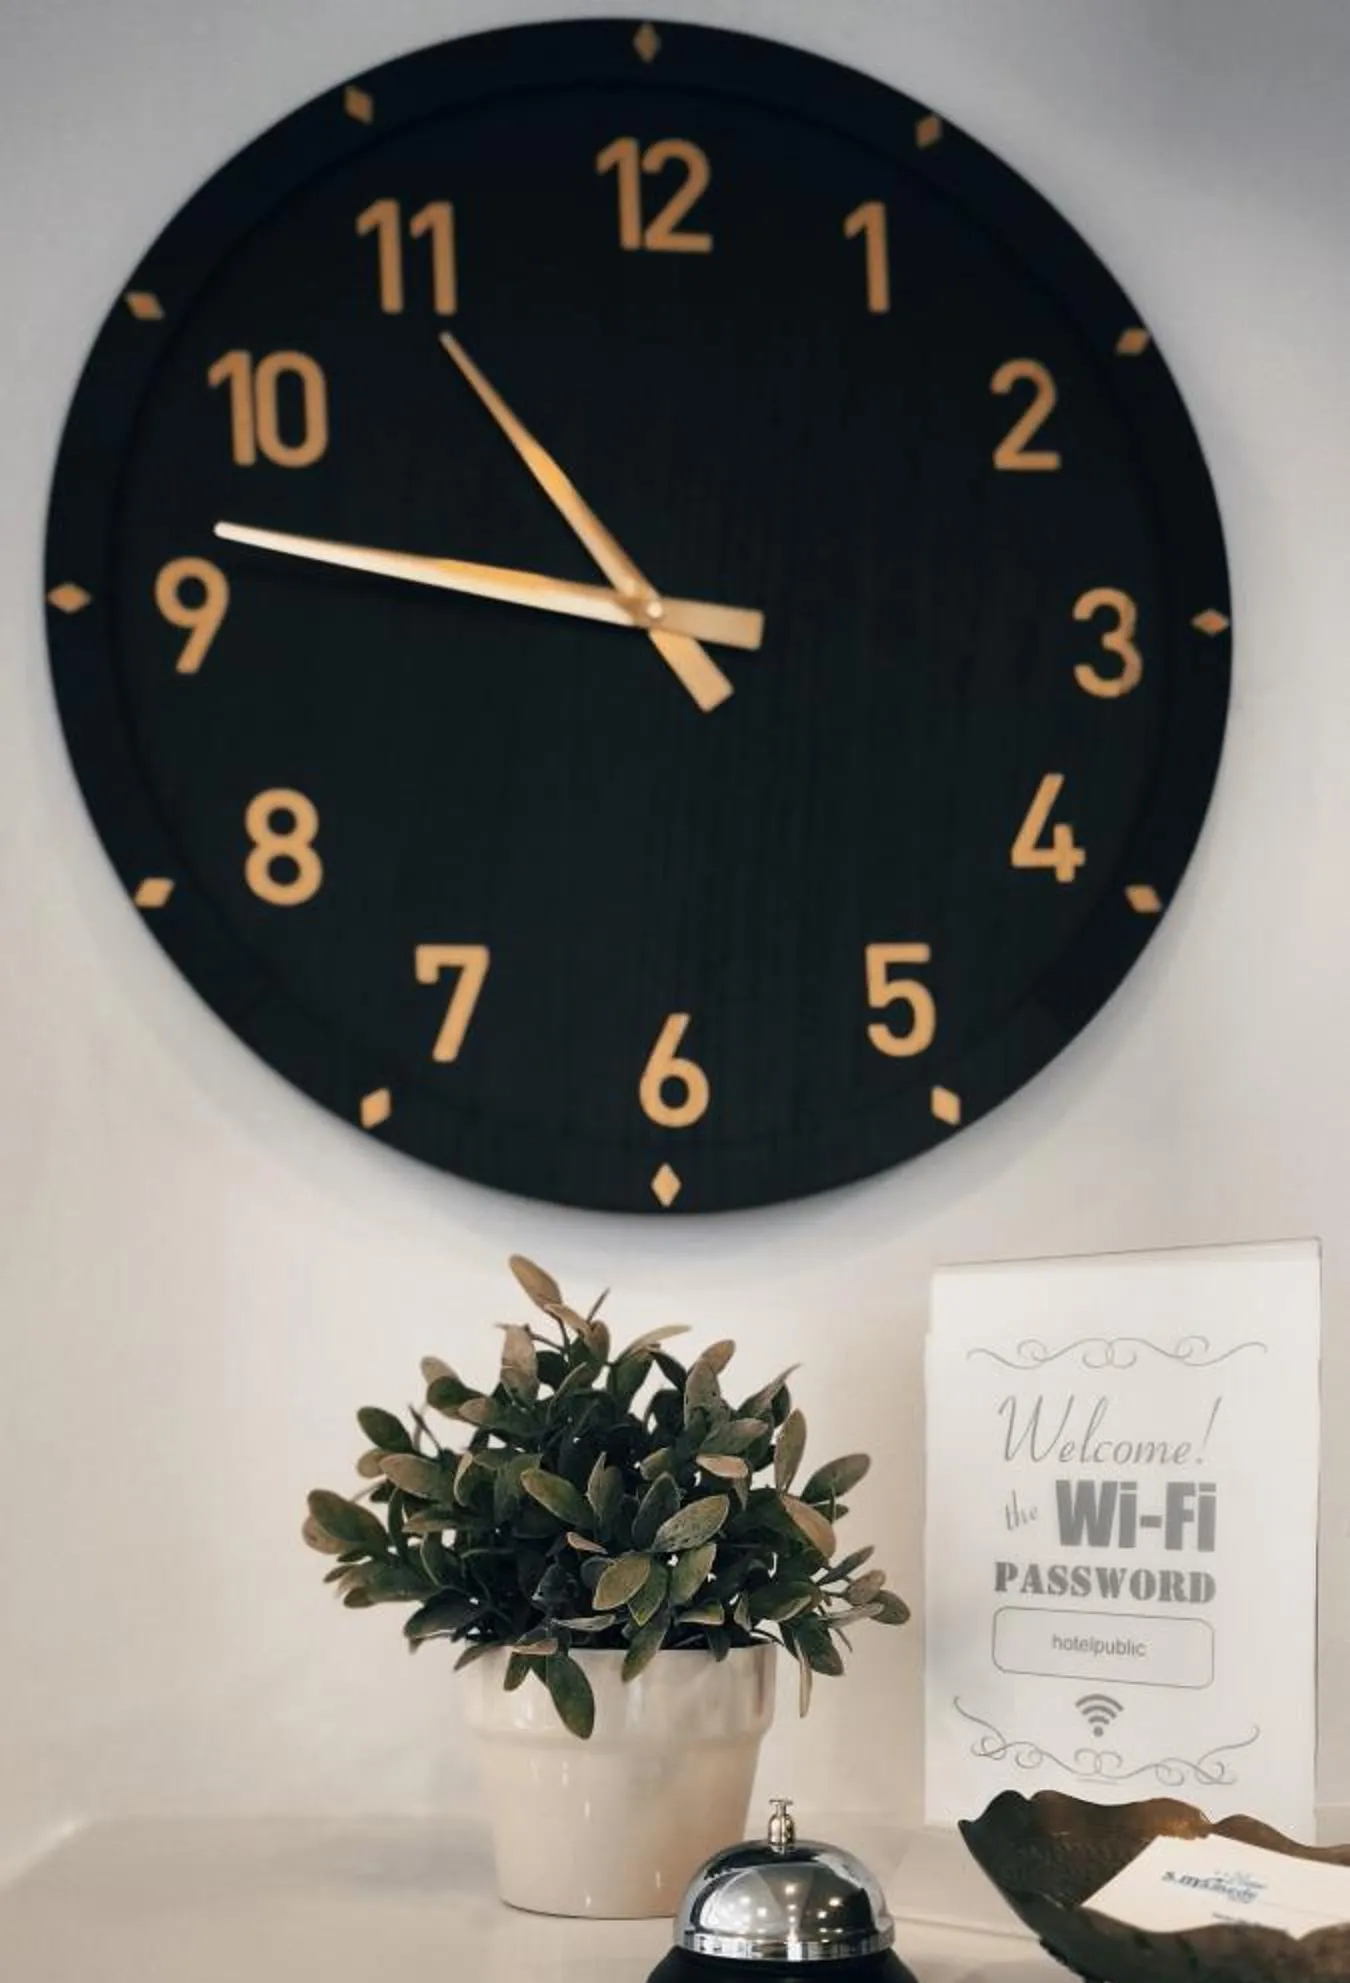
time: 10:46
